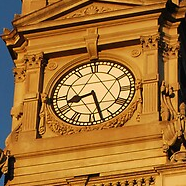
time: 8:27
